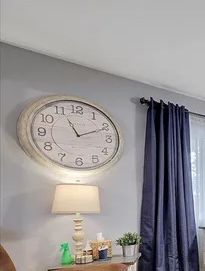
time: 11:10
